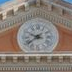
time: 9:38
